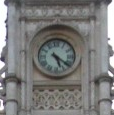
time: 5:20
